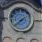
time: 7:38
